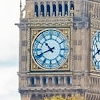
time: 10:41
